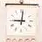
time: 9:01
